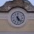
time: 5:22
